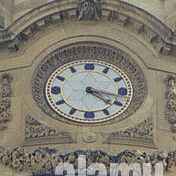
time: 4:17
